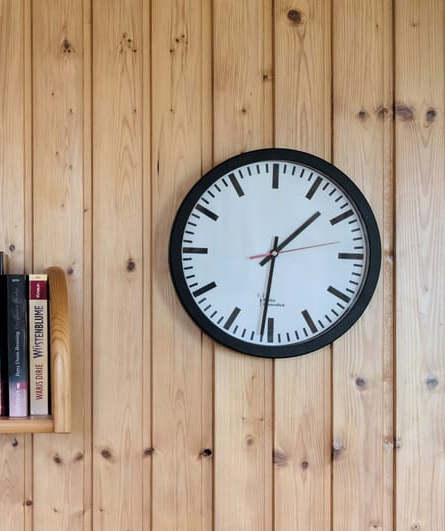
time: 1:31
